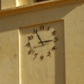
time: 2:55
